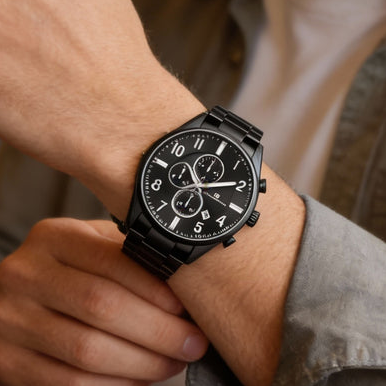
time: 11:14
